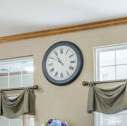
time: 10:49
